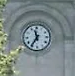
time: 11:35
